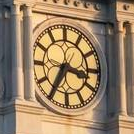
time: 3:35
